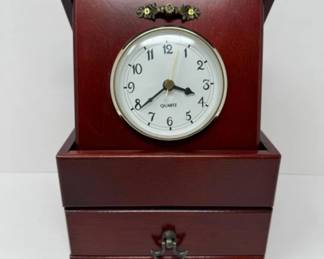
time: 3:39
